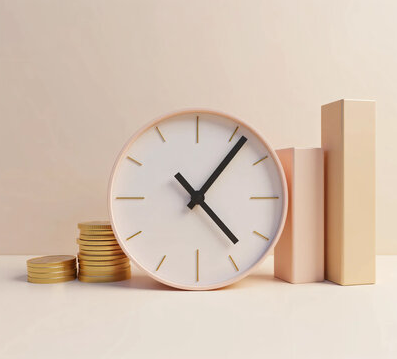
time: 1:23
